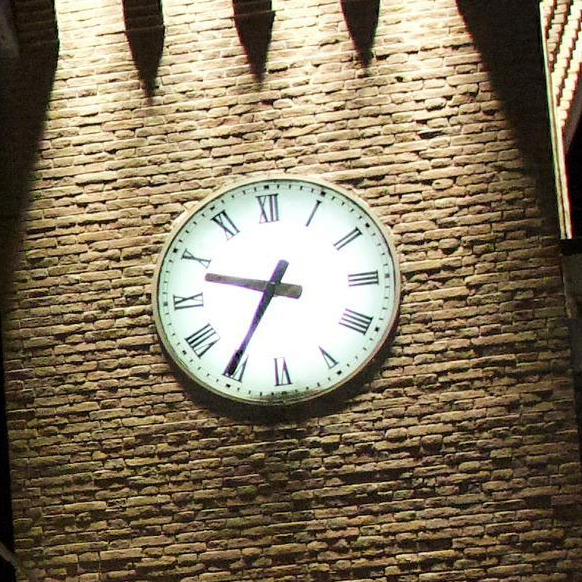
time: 9:35
